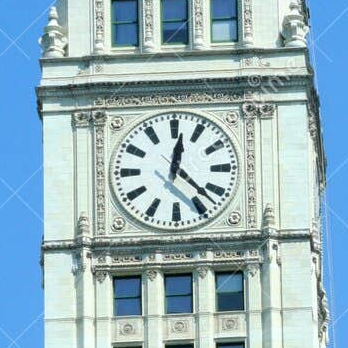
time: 12:22
